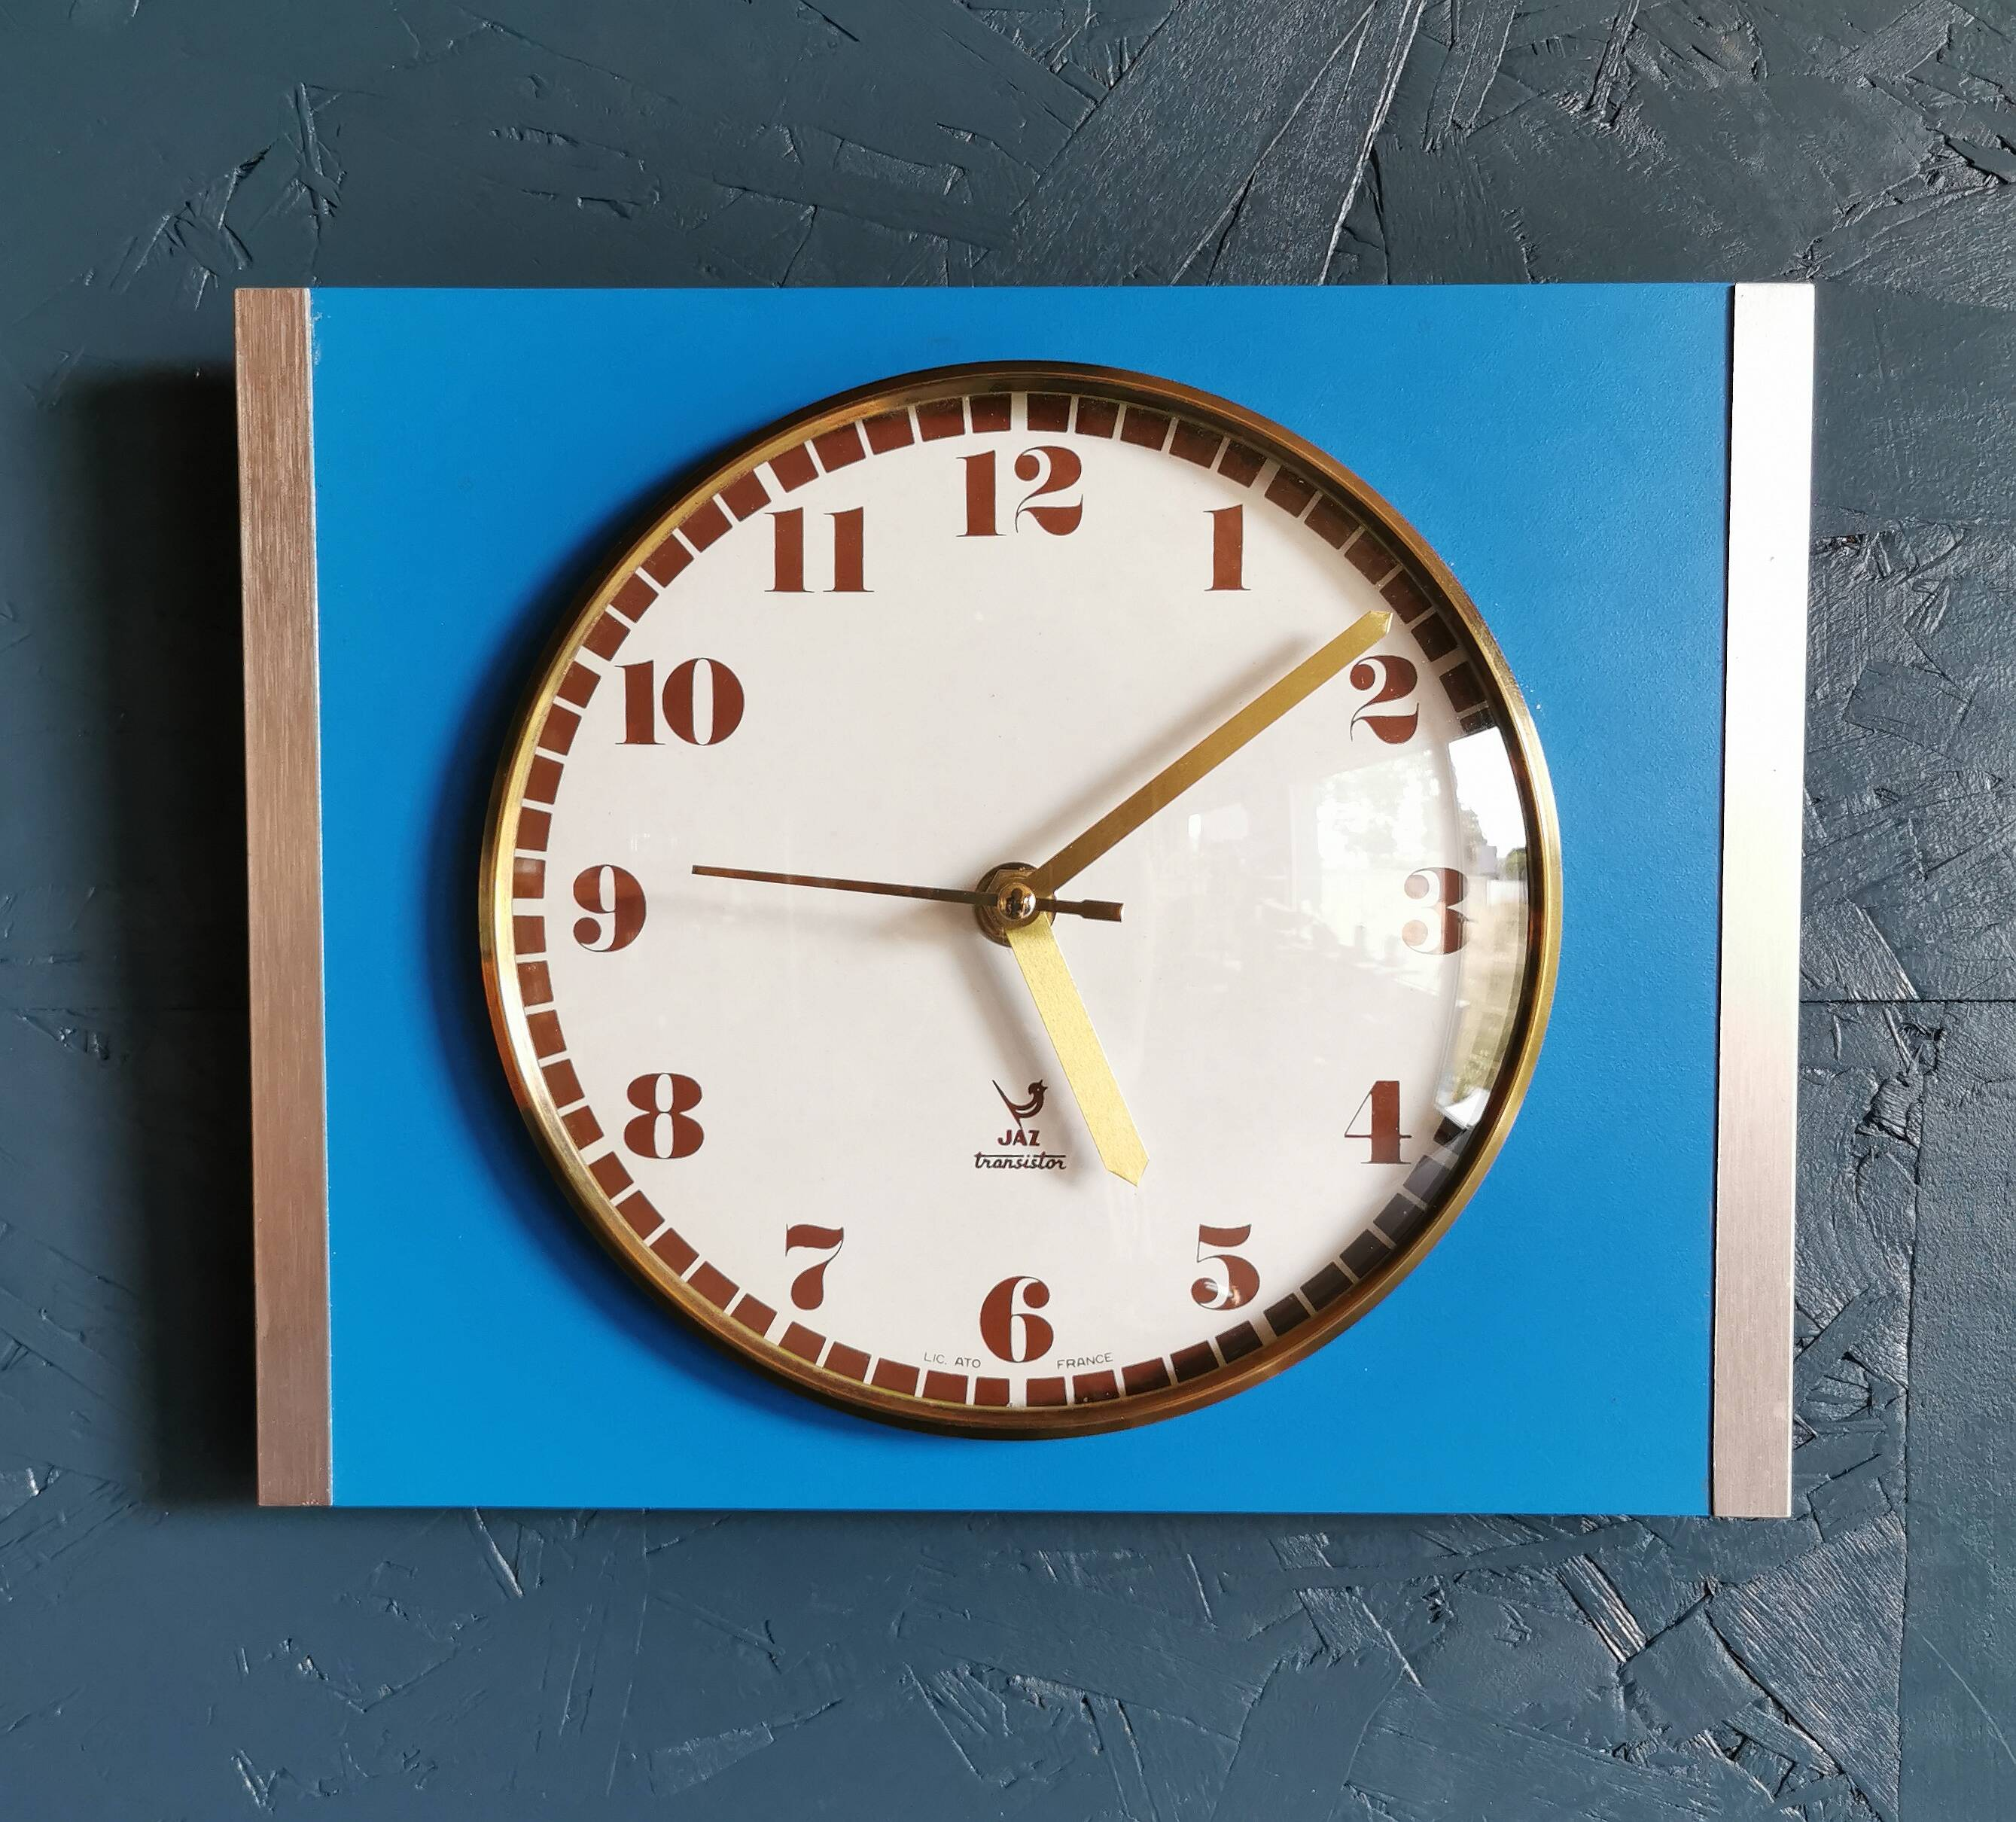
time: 5:08
